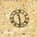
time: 11:28
